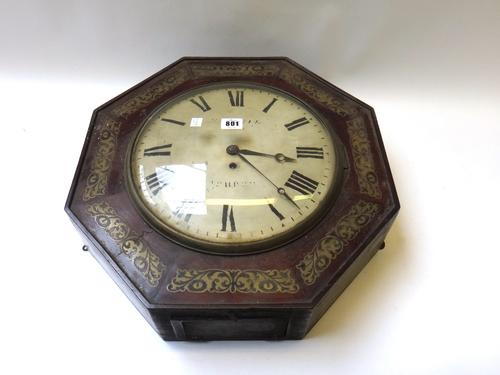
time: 3:22
